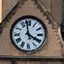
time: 3:58
